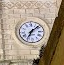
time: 7:08
